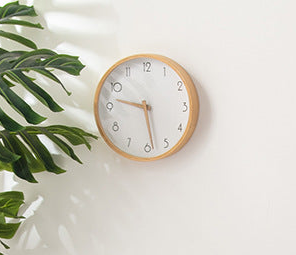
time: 9:28
